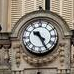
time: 10:25
